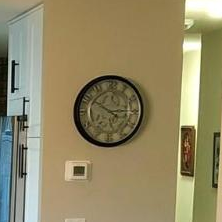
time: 2:50
